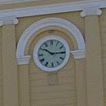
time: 10:14
